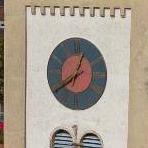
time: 12:39
